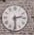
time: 2:29
